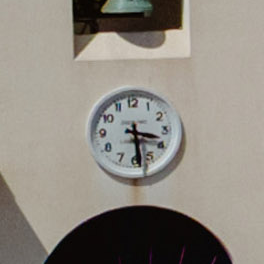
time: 3:28
